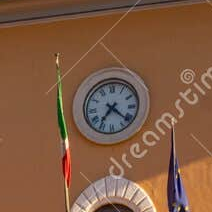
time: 7:21
